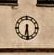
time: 6:28
